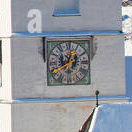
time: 12:40
